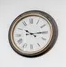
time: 10:14
